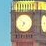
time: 6:52
